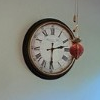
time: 2:30
